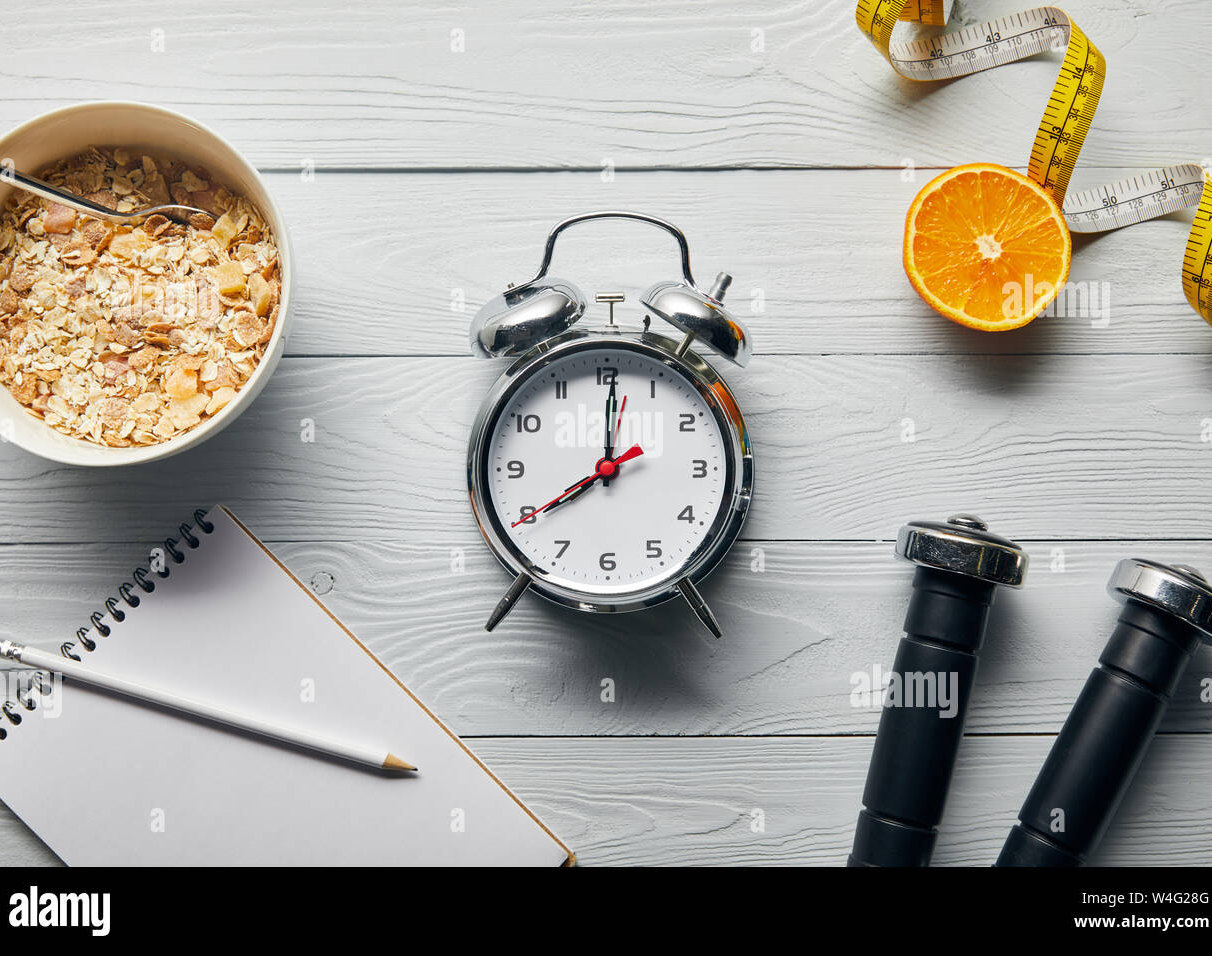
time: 8:00
